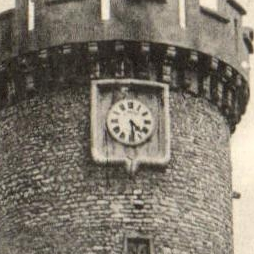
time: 4:29
